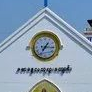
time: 7:15
